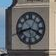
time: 8:19
